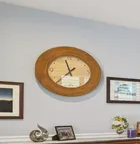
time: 11:37
